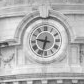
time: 9:32
